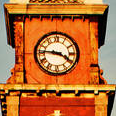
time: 3:45
